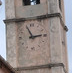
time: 2:56
